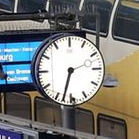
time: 2:33
